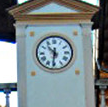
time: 10:31
